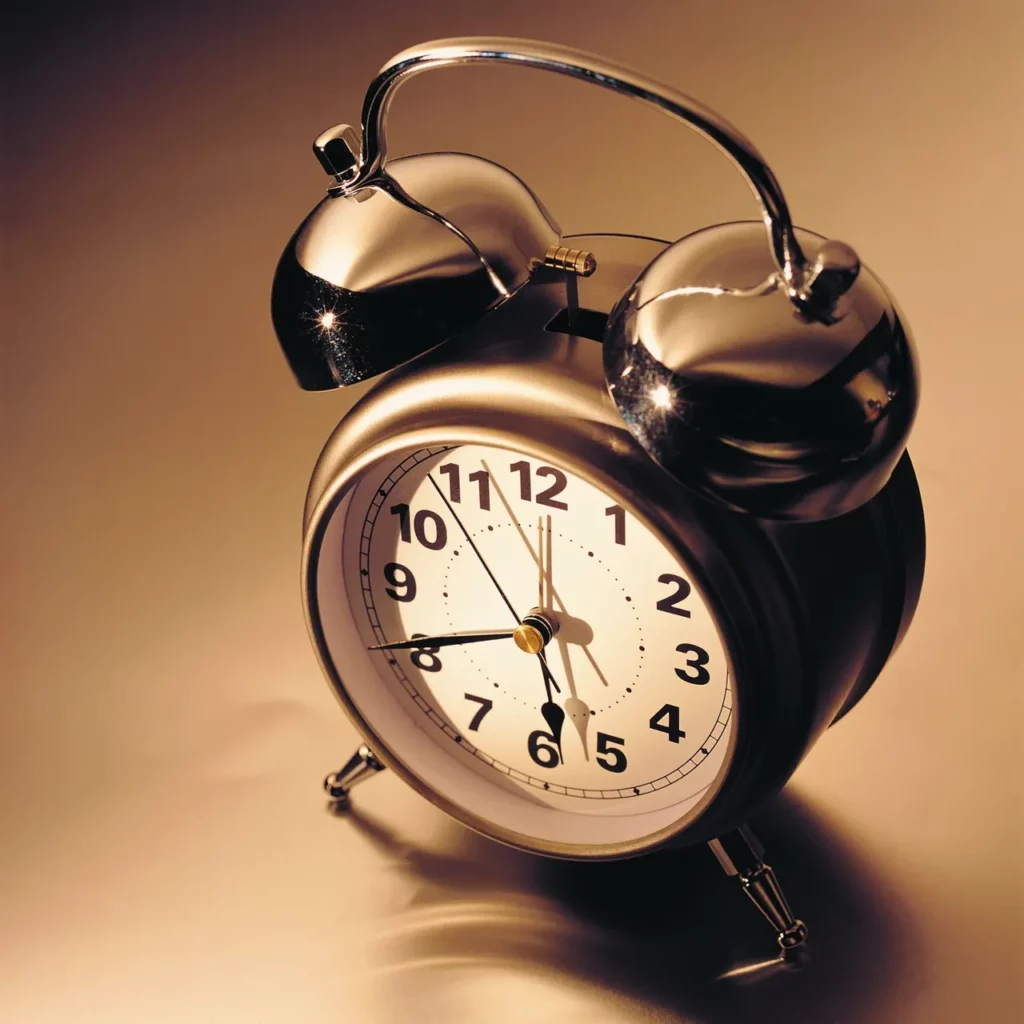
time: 5:40
